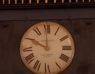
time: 9:59
